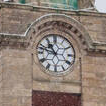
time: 10:47
